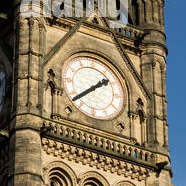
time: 1:38
